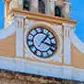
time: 1:16
